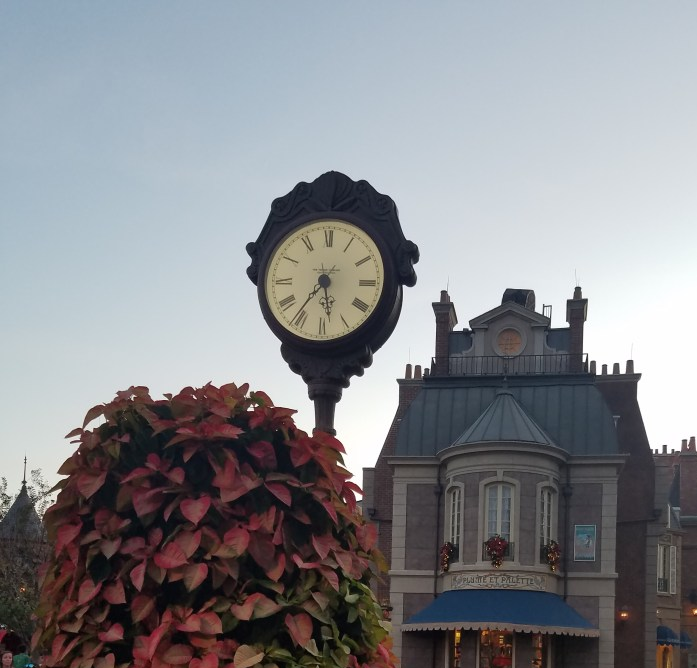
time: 5:35
